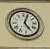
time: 5:03
